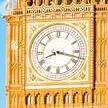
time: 8:17
